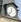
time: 11:37
